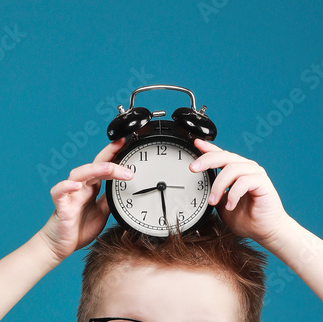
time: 8:28
